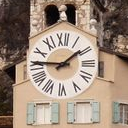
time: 1:45
